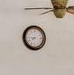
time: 7:44
